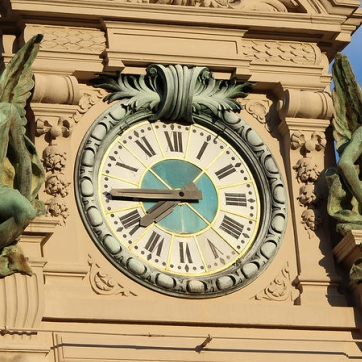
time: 7:44
